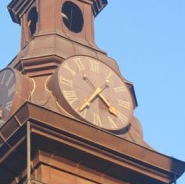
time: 4:35
